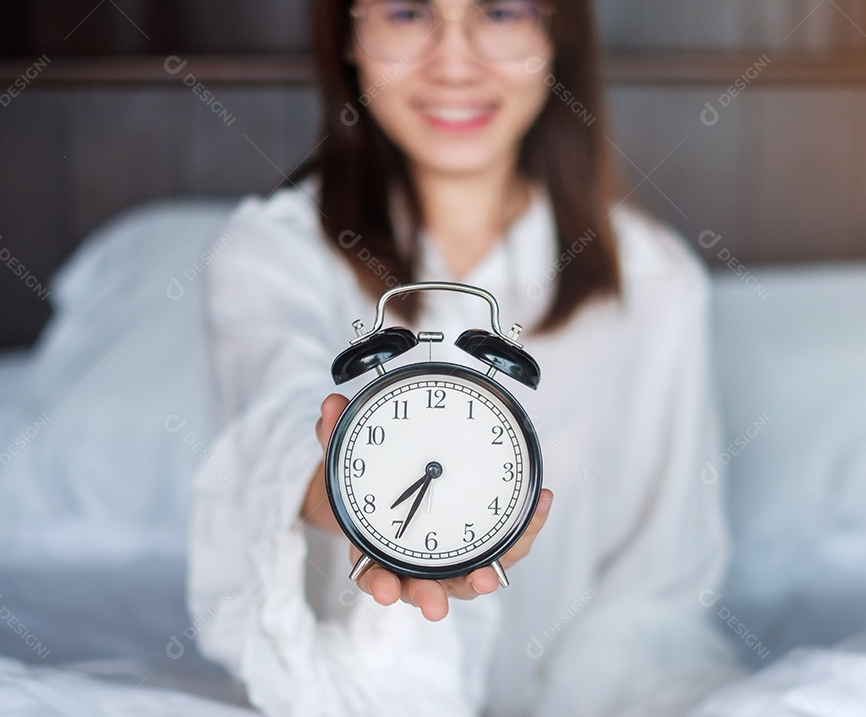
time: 7:34
